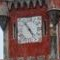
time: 4:54
